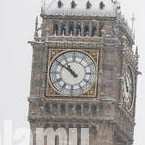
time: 10:51
